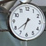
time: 6:38
